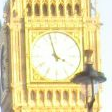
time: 3:57
